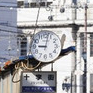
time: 9:01
